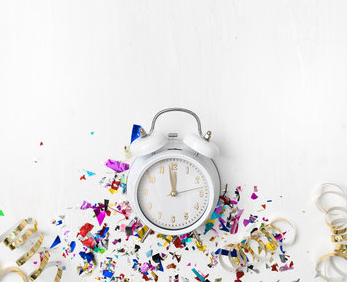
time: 11:58
